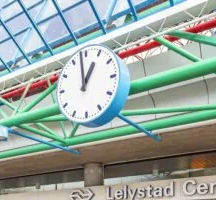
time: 12:58
